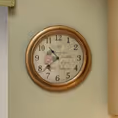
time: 10:38
